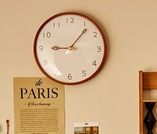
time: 9:06
